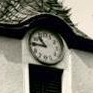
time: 10:45
